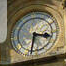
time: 3:32
